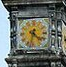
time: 4:32
